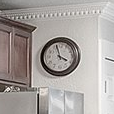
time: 3:57
